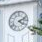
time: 4:11
